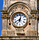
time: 8:02
